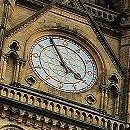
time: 3:55
